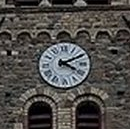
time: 4:10
